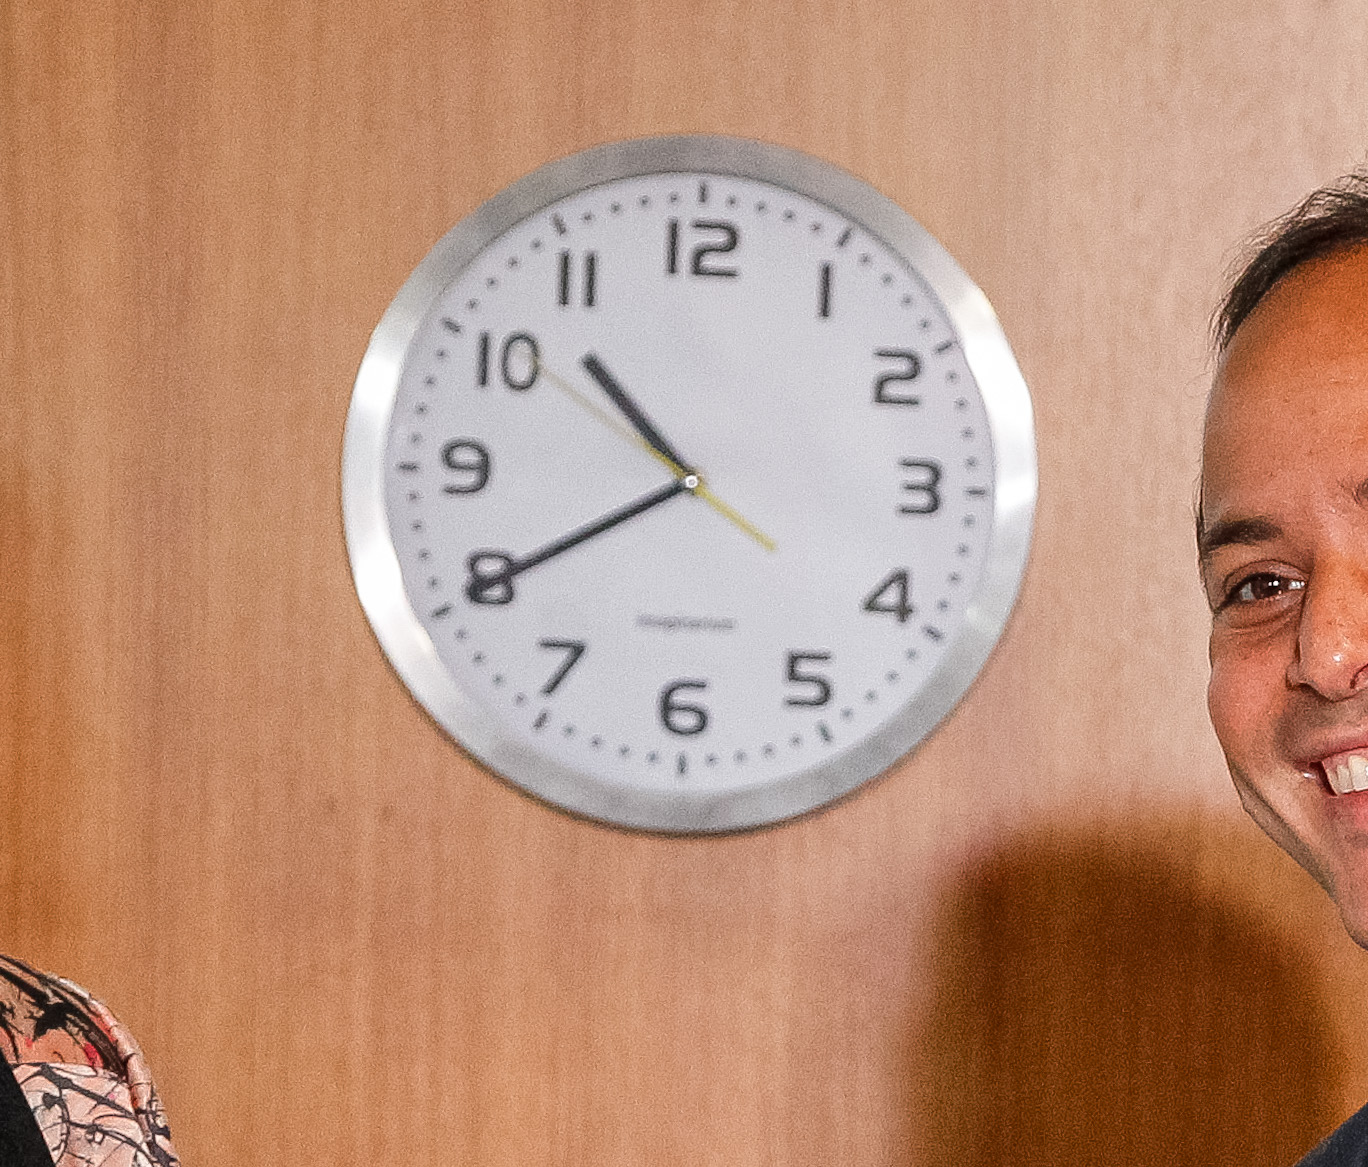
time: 10:39
